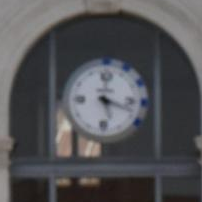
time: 5:18
